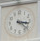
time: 3:22
